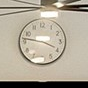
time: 3:46
